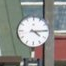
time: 4:14
